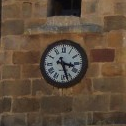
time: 3:26
